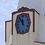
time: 11:53
